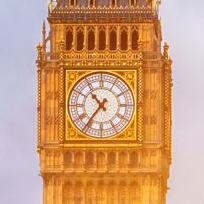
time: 10:36
